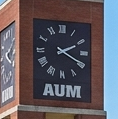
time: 2:19
